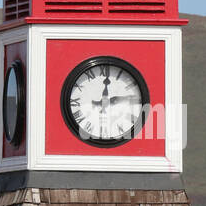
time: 12:13
